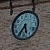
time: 5:35
